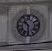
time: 10:30
